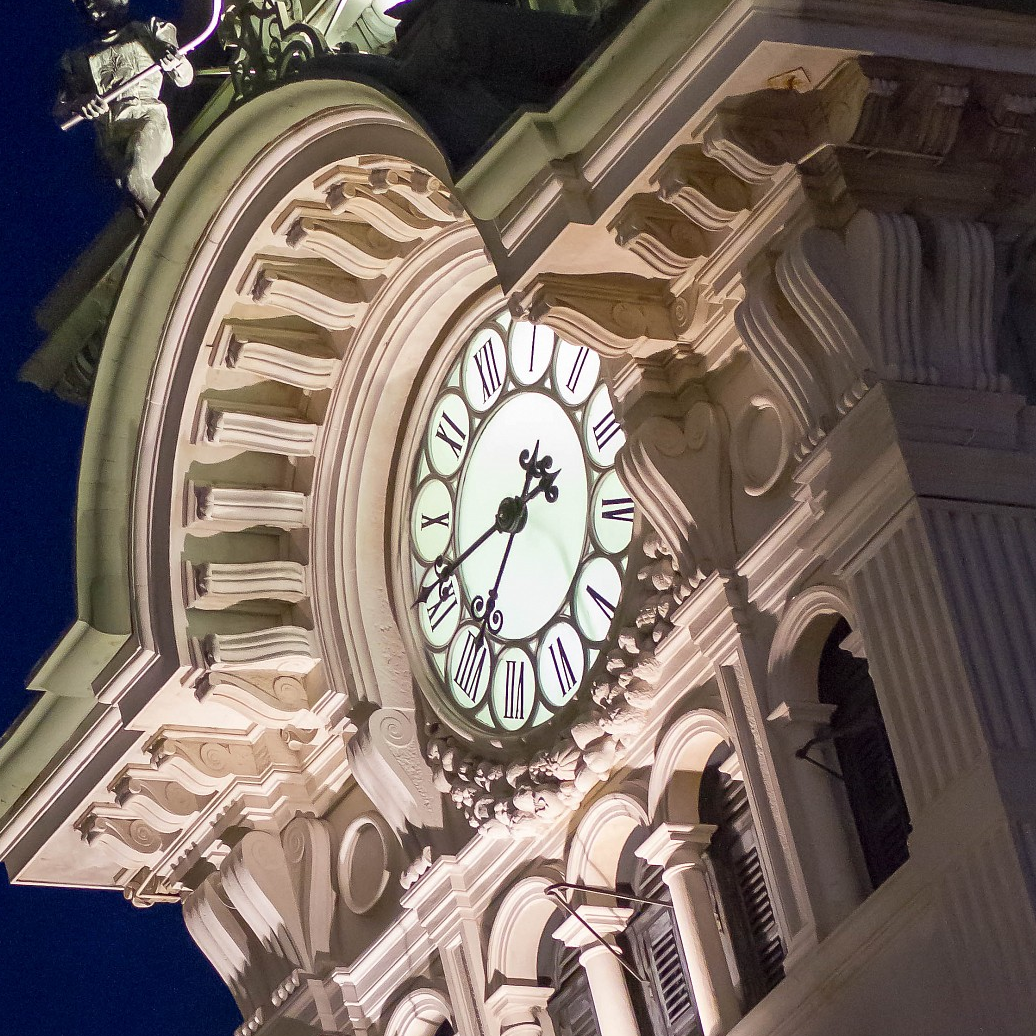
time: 1:40
